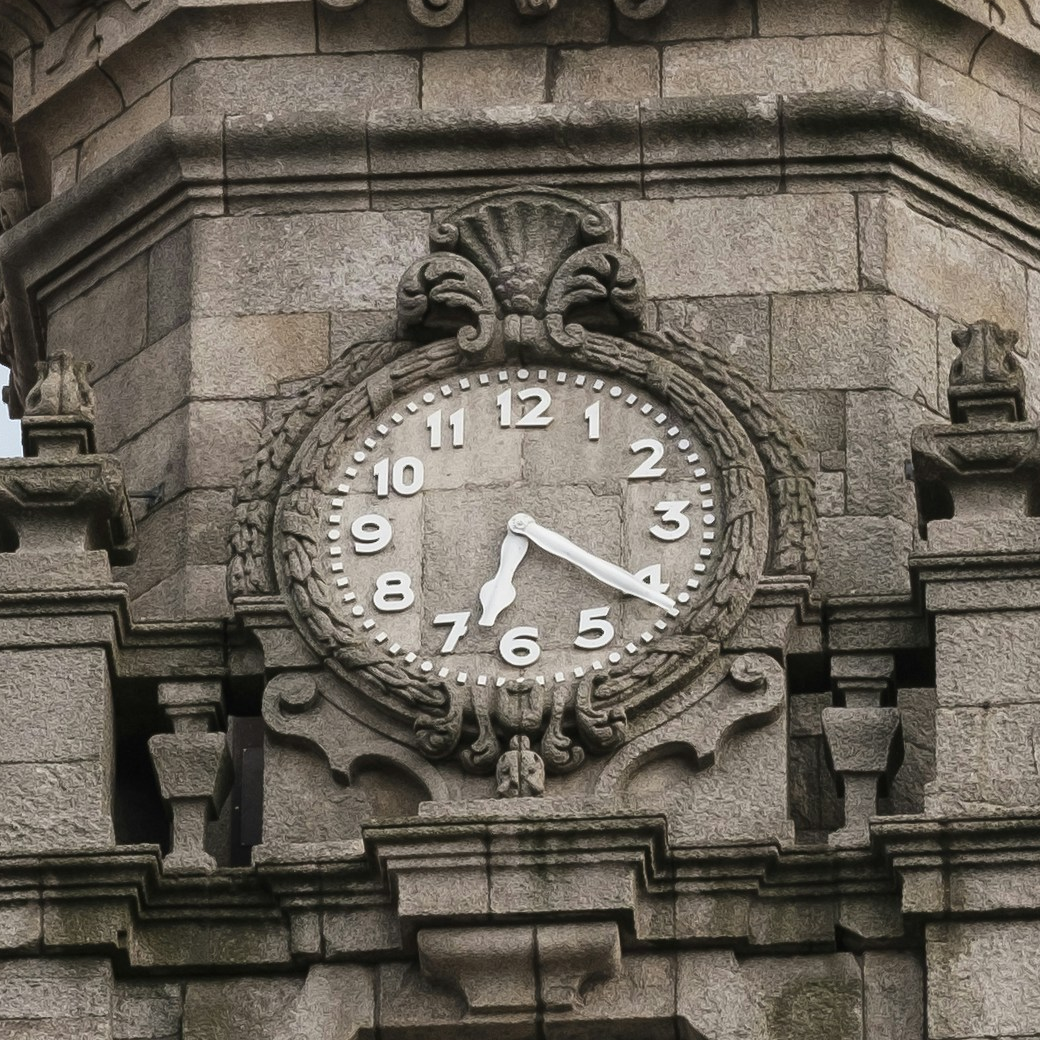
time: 6:20
